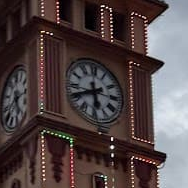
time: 5:40
